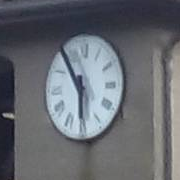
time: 5:54
